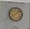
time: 8:07
